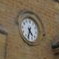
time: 4:32
